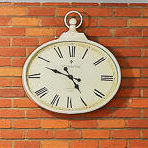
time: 4:48
